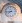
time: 7:43
